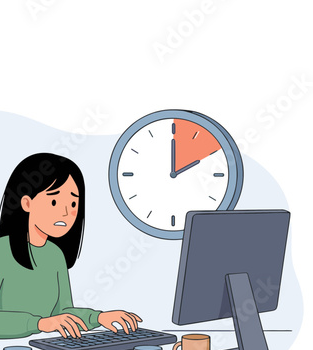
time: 2:00
